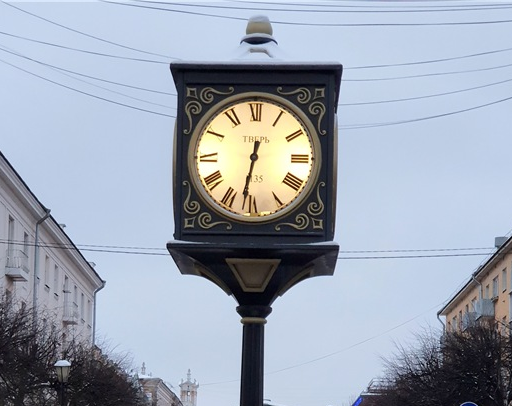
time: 12:32
